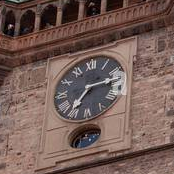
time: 7:13
